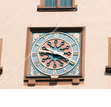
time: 3:45
